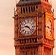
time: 9:22
